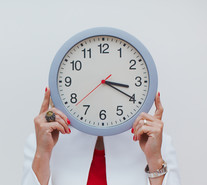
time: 3:19
